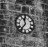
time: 11:36
